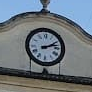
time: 2:12
